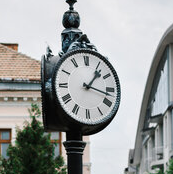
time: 1:17
